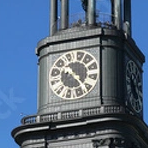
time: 4:22
